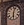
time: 6:03
